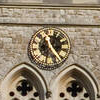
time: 11:22
